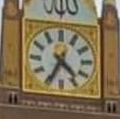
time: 4:34
